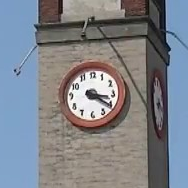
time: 3:20
